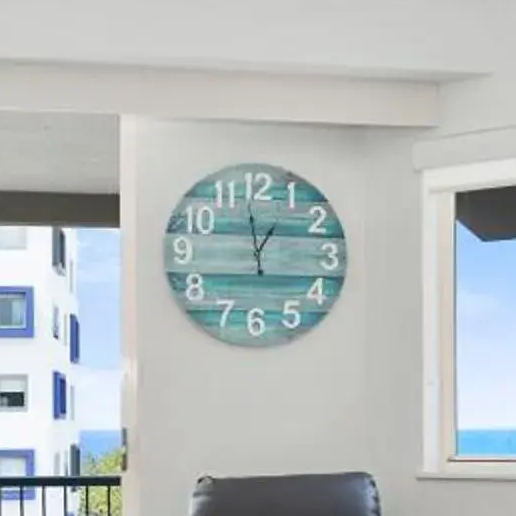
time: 12:58
